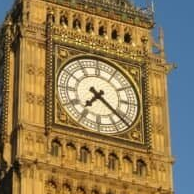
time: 7:21
